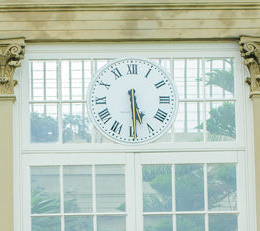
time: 5:29
